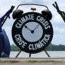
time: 10:07
